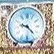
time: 9:23
